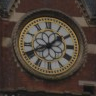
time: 1:40
